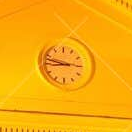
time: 8:47
